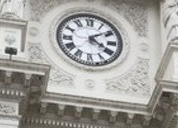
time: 4:09
